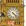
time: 4:22
